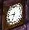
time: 9:33
